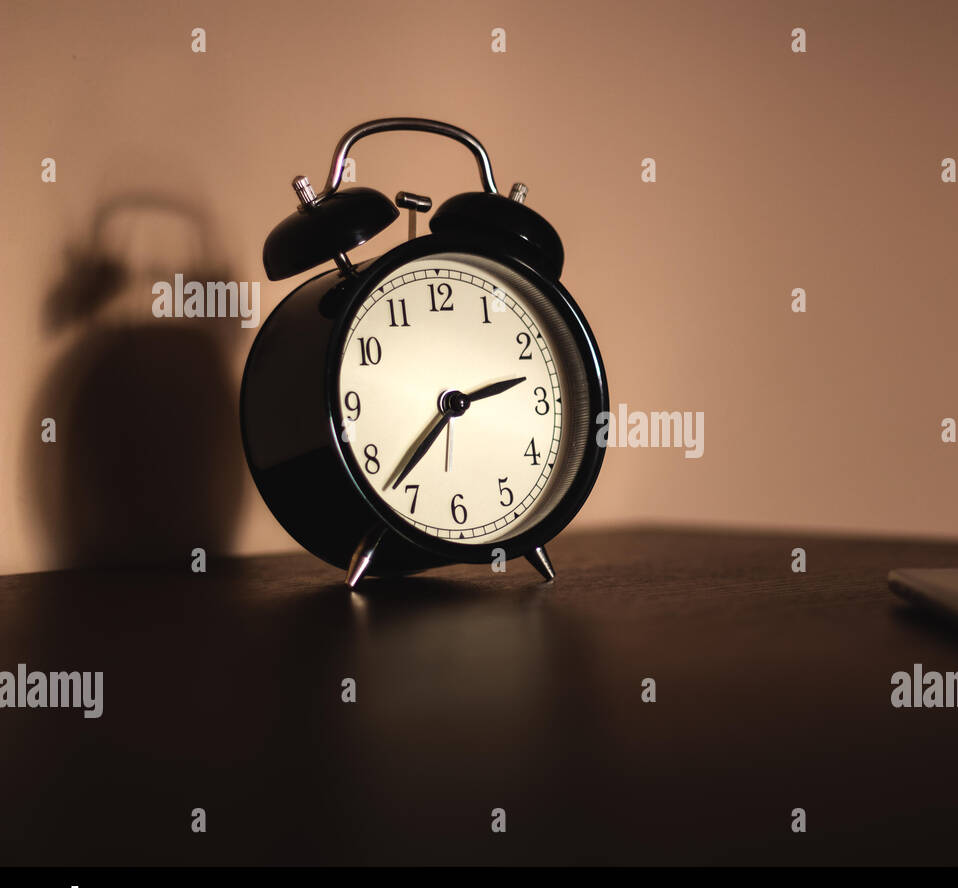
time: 2:37
